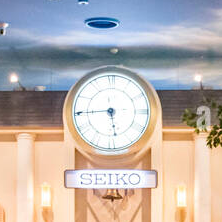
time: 5:44
